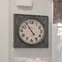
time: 4:54
